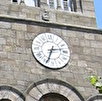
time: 2:33
